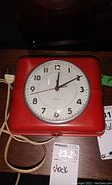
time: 12:09
